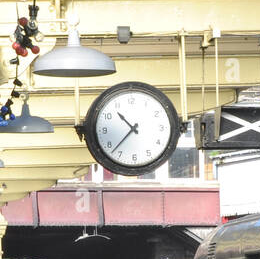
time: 10:37
